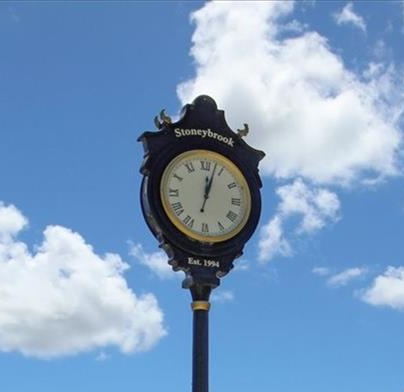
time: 12:03
